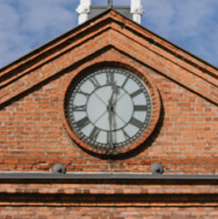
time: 12:29
